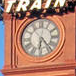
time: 6:23
